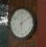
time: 6:10
